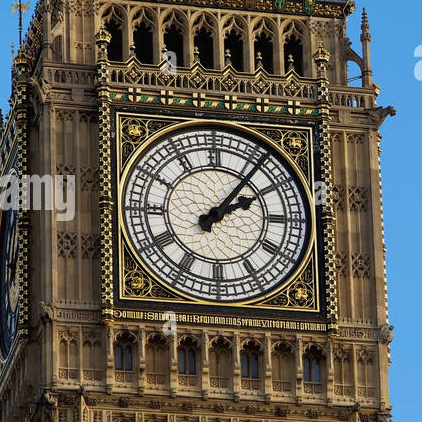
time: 2:06
